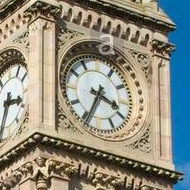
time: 3:34
